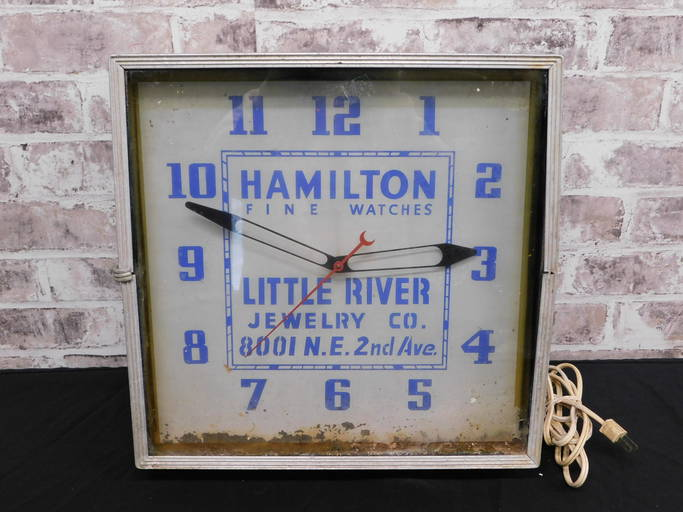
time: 2:48
